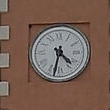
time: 4:32
